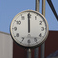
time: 11:59
